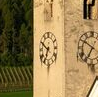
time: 6:49
